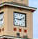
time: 9:11
